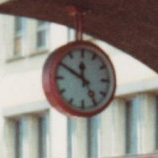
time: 11:50
